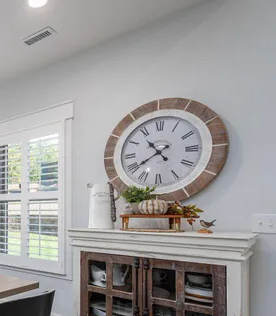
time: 10:39
